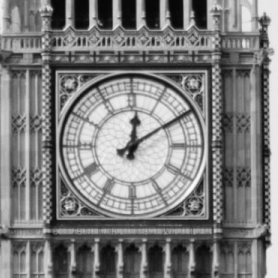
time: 12:09
